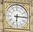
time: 6:15
